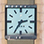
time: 2:35
